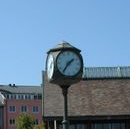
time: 1:35
